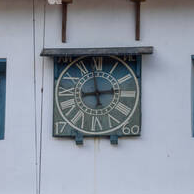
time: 2:58
